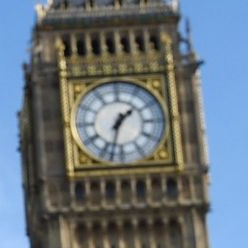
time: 1:32
